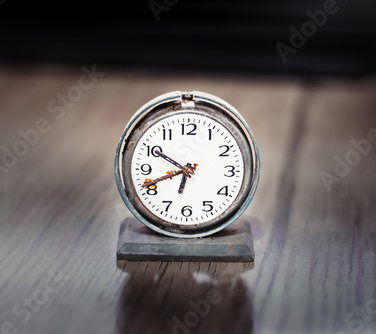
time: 6:41
